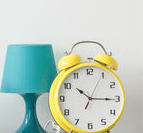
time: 10:14
